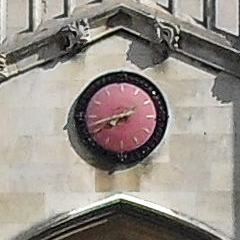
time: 7:42
